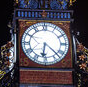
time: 6:22
